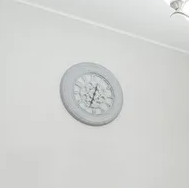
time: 12:33
